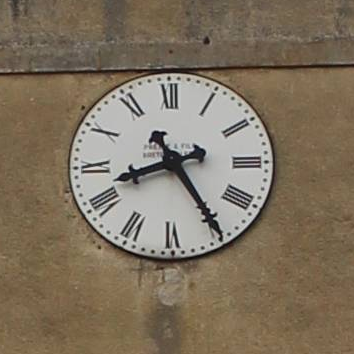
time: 8:24
